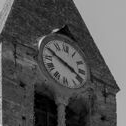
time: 3:48
